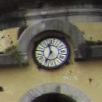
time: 11:33
